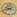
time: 9:41
